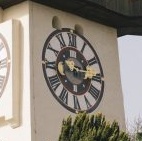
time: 10:15
